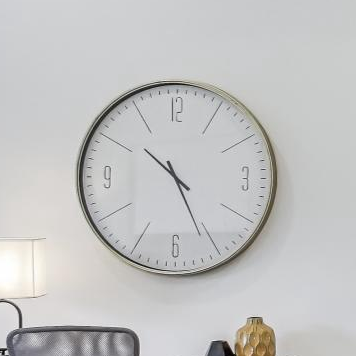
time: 10:25
